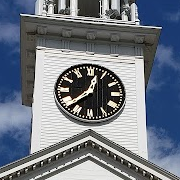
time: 12:37
